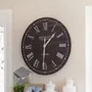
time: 1:30
